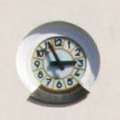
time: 2:56
